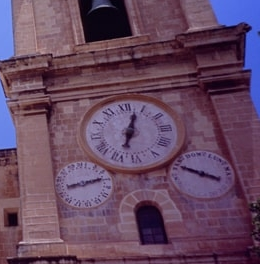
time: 7:03
